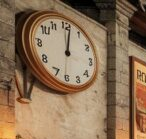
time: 12:01
